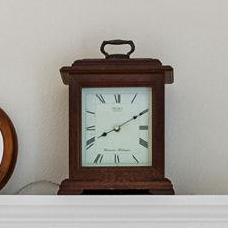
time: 8:10
